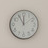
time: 11:55
